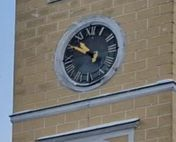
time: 10:50
